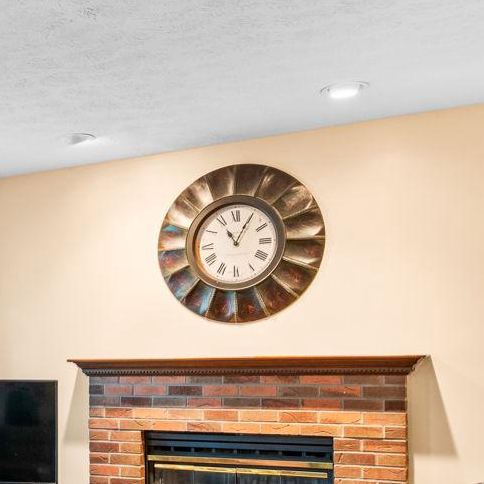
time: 11:05
